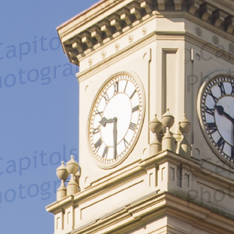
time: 9:30
